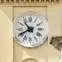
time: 10:40
